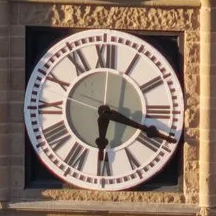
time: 6:18
